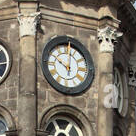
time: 10:01
